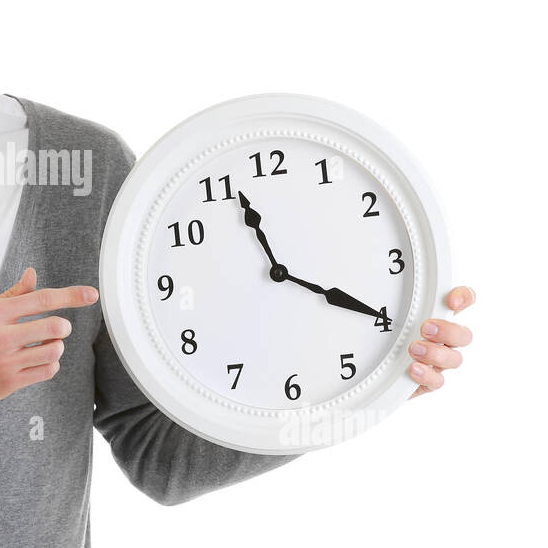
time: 11:19
